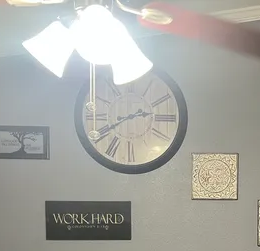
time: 2:40
